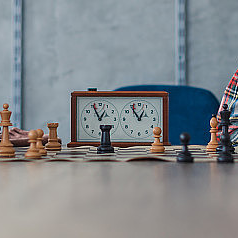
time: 12:55
